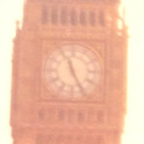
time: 11:25
